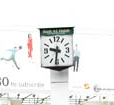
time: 9:31
